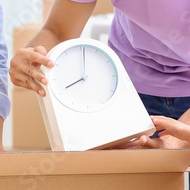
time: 8:01
